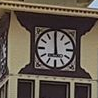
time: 11:59
